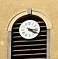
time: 4:17
